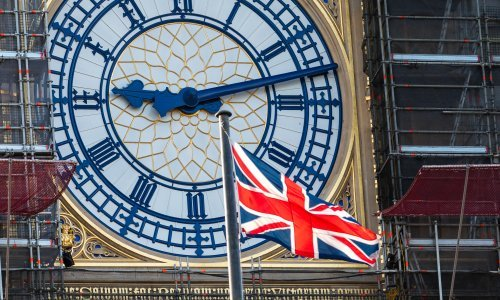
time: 9:12
